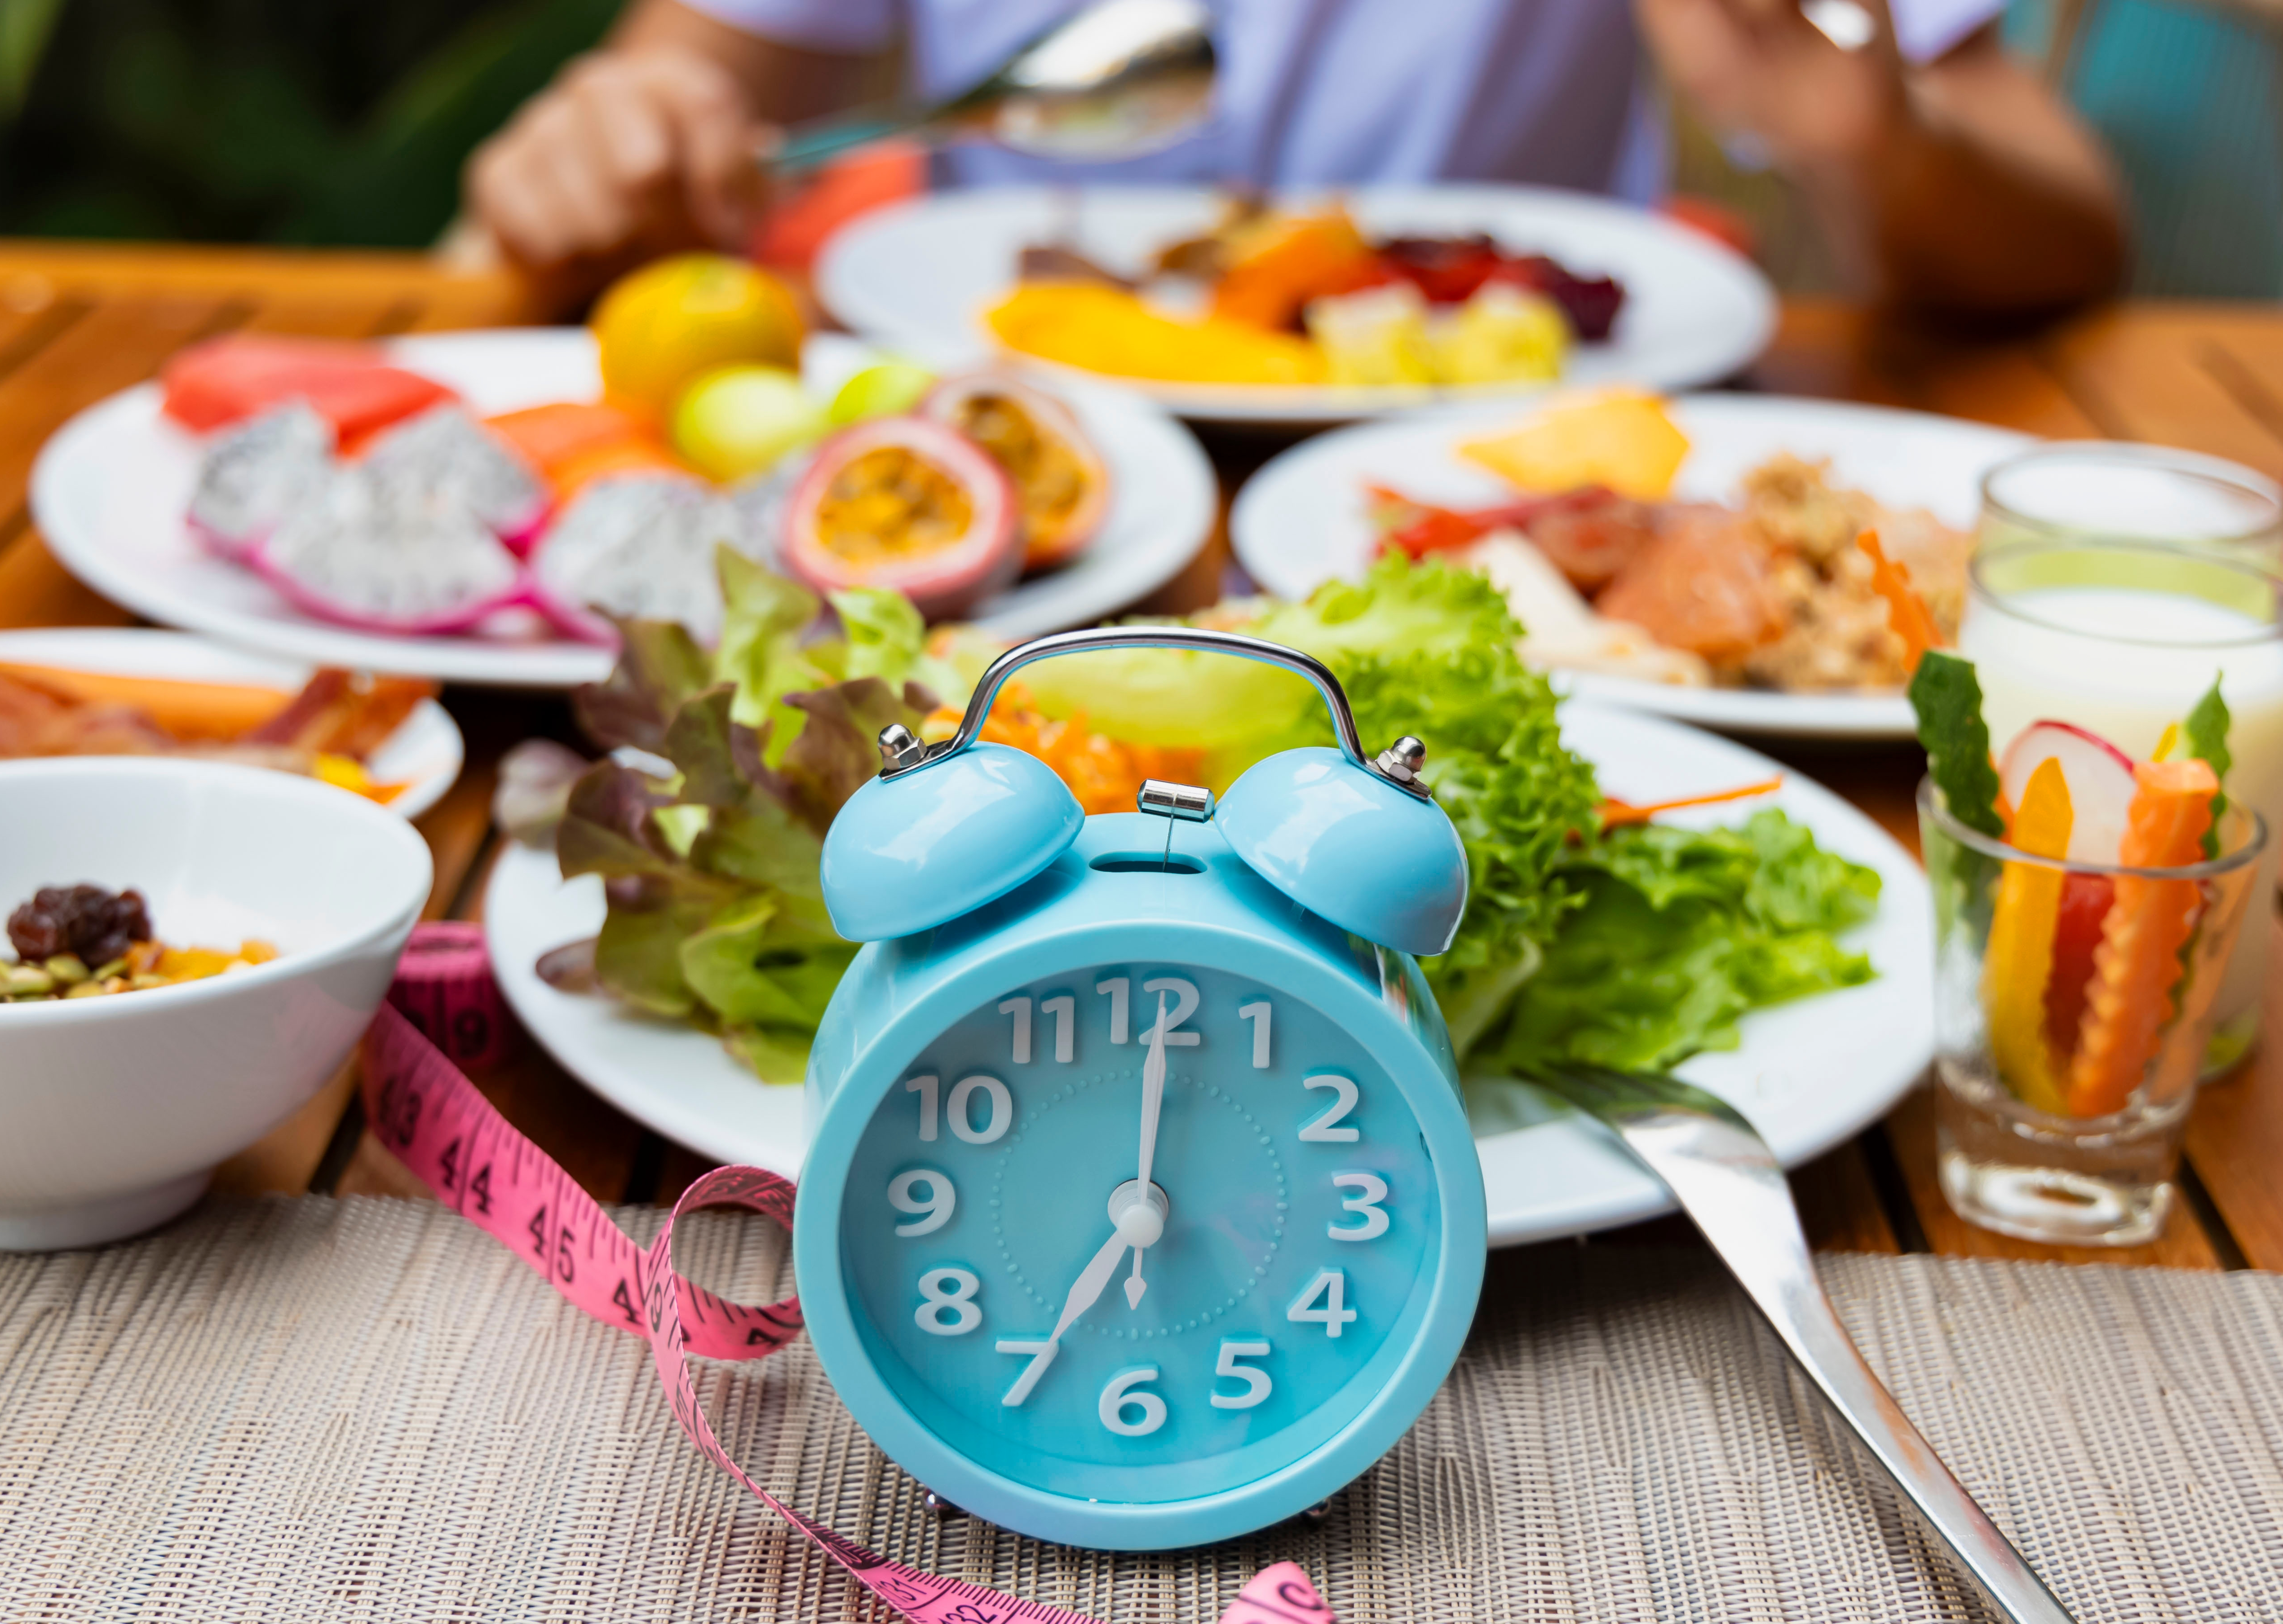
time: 7:00
